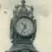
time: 10:34
